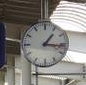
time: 1:16
